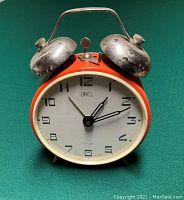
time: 1:11
